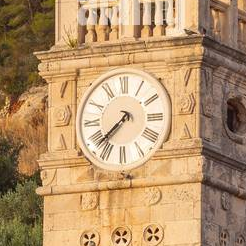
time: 7:37
